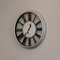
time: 12:36
